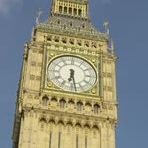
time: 6:28
